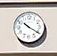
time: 10:20
